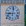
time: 9:01
